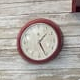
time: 1:26
